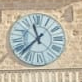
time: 11:37
